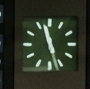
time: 11:27
